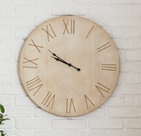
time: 9:50
